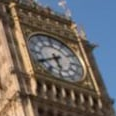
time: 5:40
